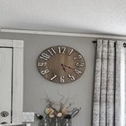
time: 5:18
